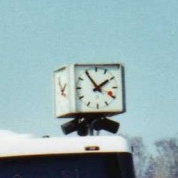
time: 1:54
